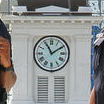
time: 11:09
